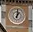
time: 1:01
